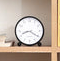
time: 8:20
